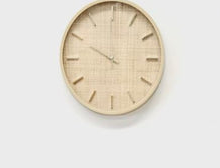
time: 10:00
